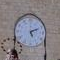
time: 5:11
